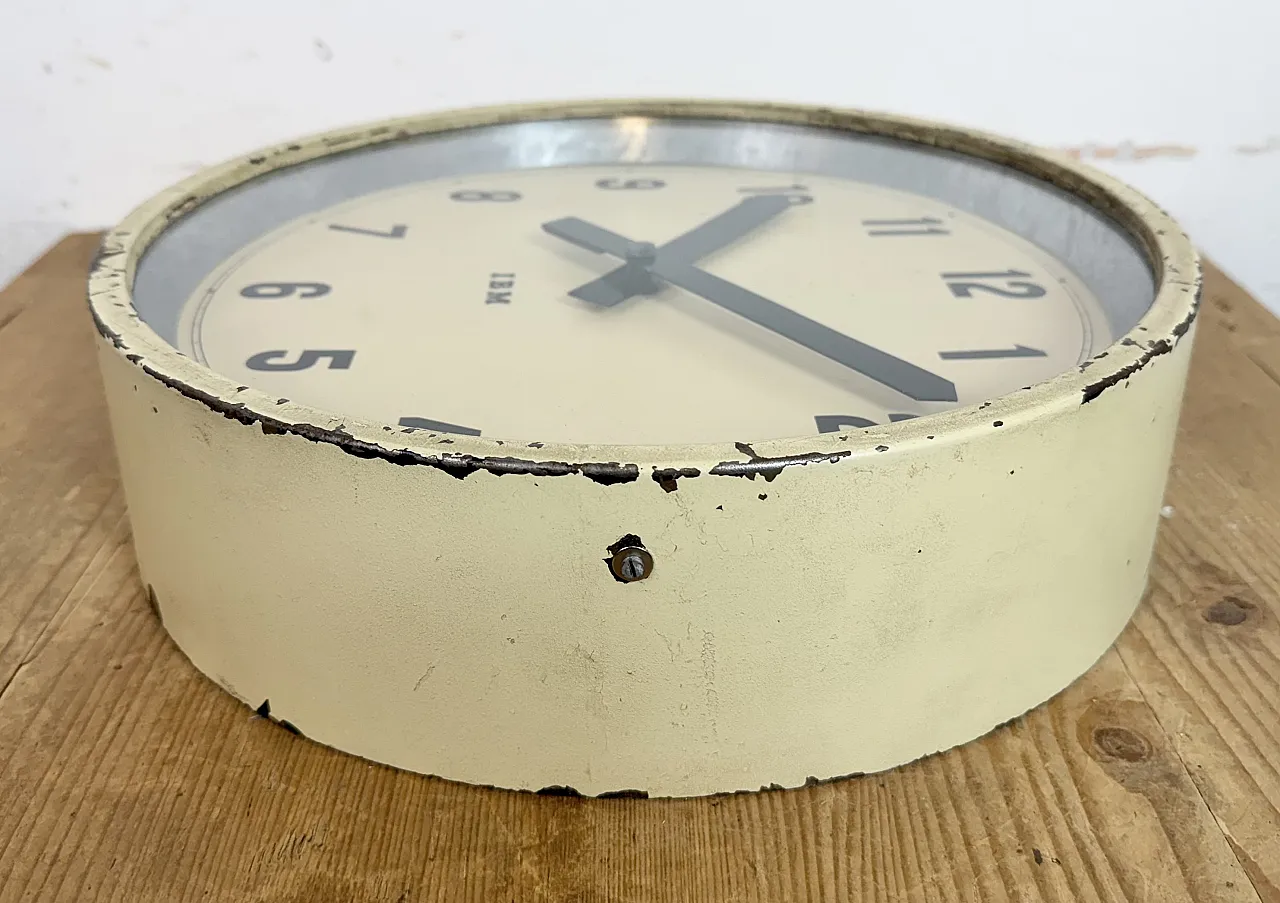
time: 1:21
